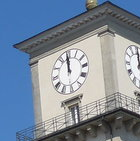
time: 11:59
